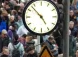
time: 4:52
